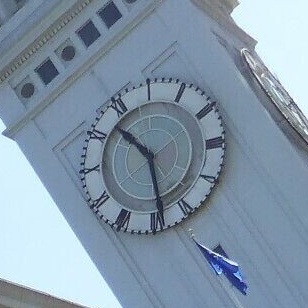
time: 10:28
